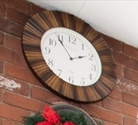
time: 1:53
